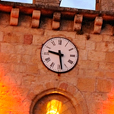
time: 9:28
